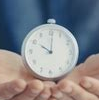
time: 10:00
